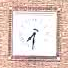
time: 7:31
